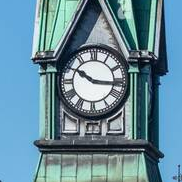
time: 10:16
